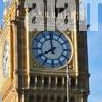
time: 7:58
